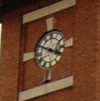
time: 3:49
